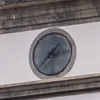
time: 1:37
